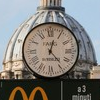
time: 12:23
